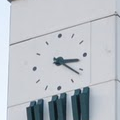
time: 3:21
